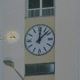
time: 12:07
